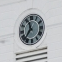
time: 11:36
